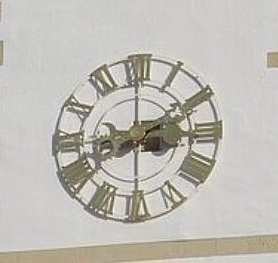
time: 8:09
